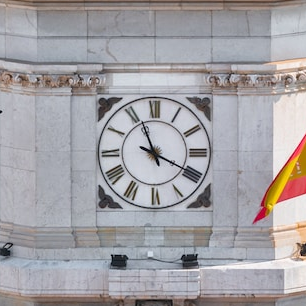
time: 11:19
